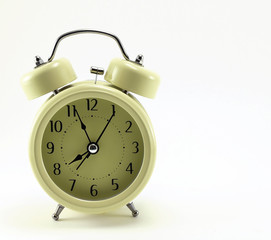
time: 7:56
